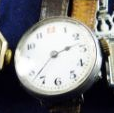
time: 2:37
